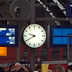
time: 9:40
